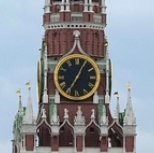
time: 7:04
